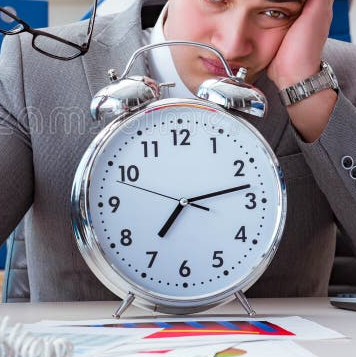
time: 7:13
